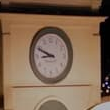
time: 8:48
